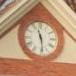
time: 11:28
